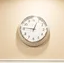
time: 12:46
